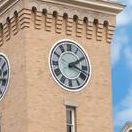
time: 2:18
